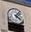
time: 1:22
